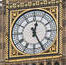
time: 12:25
